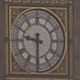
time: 9:30
